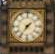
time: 1:36
